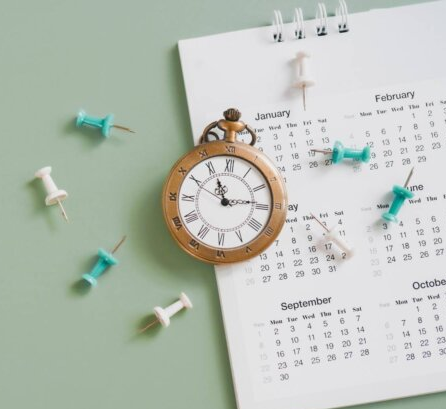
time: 11:13
